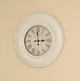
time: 2:59
